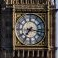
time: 7:16
